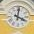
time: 4:01
